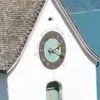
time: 2:18
